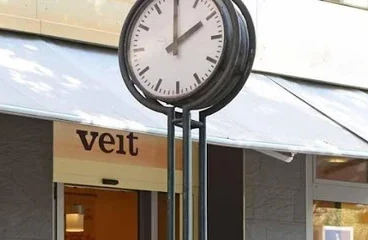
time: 2:00
